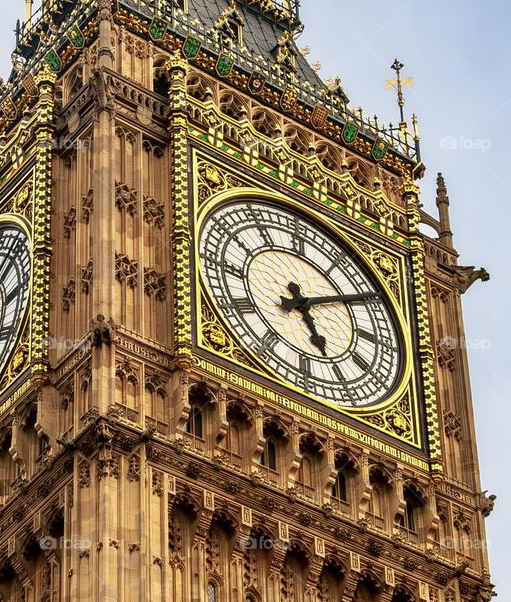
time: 5:09
